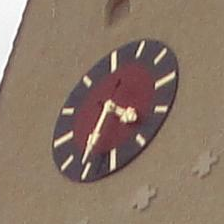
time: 3:31
